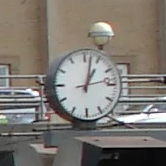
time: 1:02
